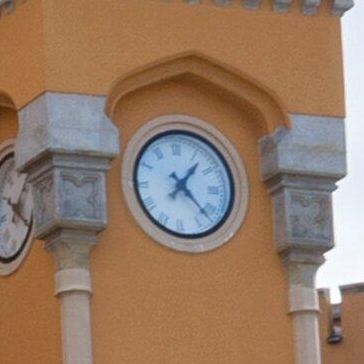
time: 1:22
